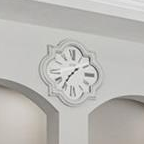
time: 1:36
